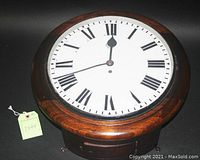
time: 12:00
